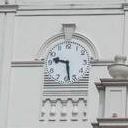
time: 9:28
